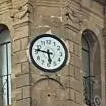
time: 5:46
